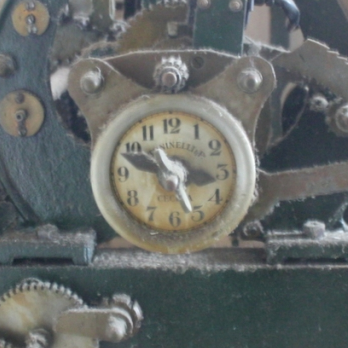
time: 3:26
